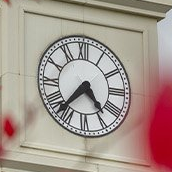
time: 4:37
